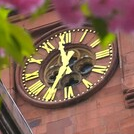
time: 11:35
